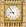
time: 8:54
